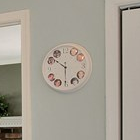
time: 5:51
